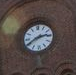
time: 2:40
